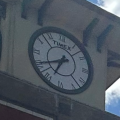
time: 6:40
